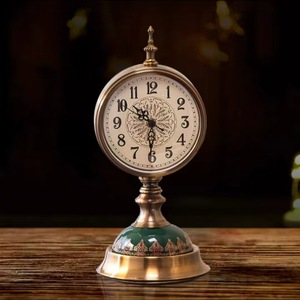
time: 10:30
